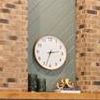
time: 2:33
